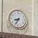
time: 8:34
